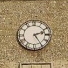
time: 2:24
